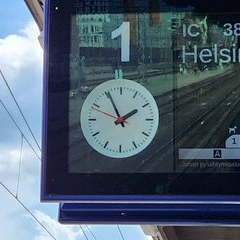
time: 1:55
